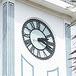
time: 2:18
